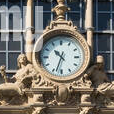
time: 10:33
